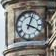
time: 4:03
